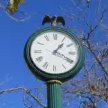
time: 1:19
